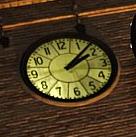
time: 2:07
